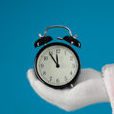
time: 11:54
